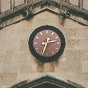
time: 2:33
